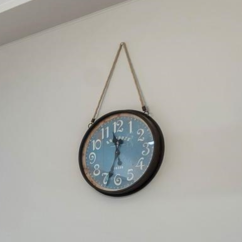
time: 11:33
